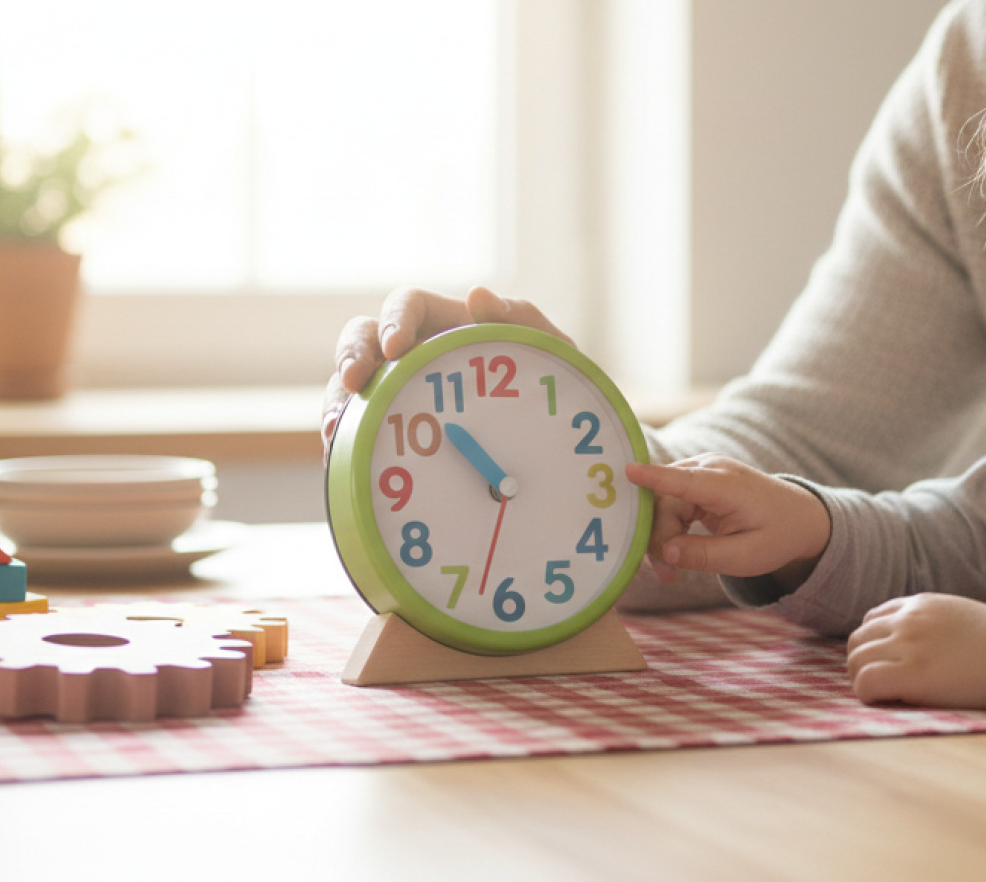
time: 10:32
